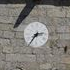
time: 2:36
